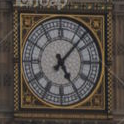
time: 5:07
